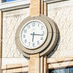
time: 6:16
